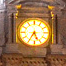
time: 5:34
